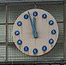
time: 11:57
